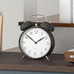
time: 1:51
